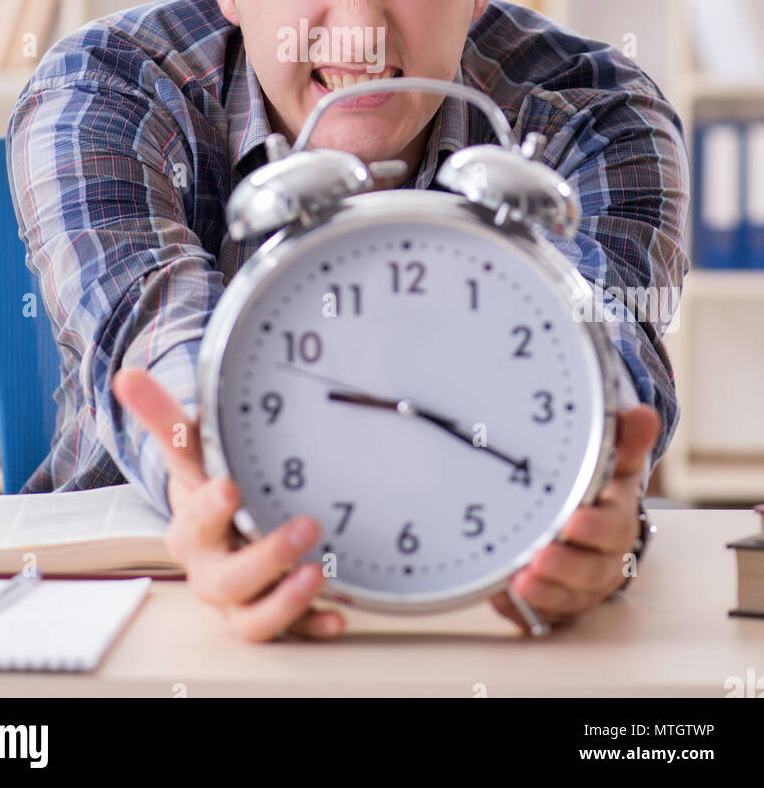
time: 9:19
